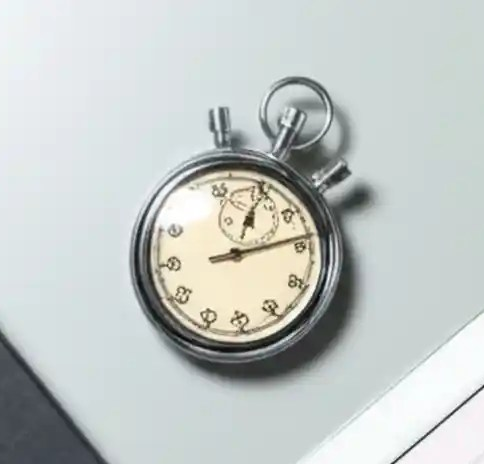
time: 1:13
